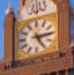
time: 5:14
